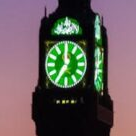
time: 11:35
